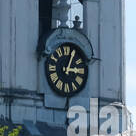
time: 3:04
